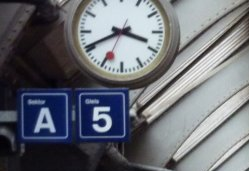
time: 3:40
